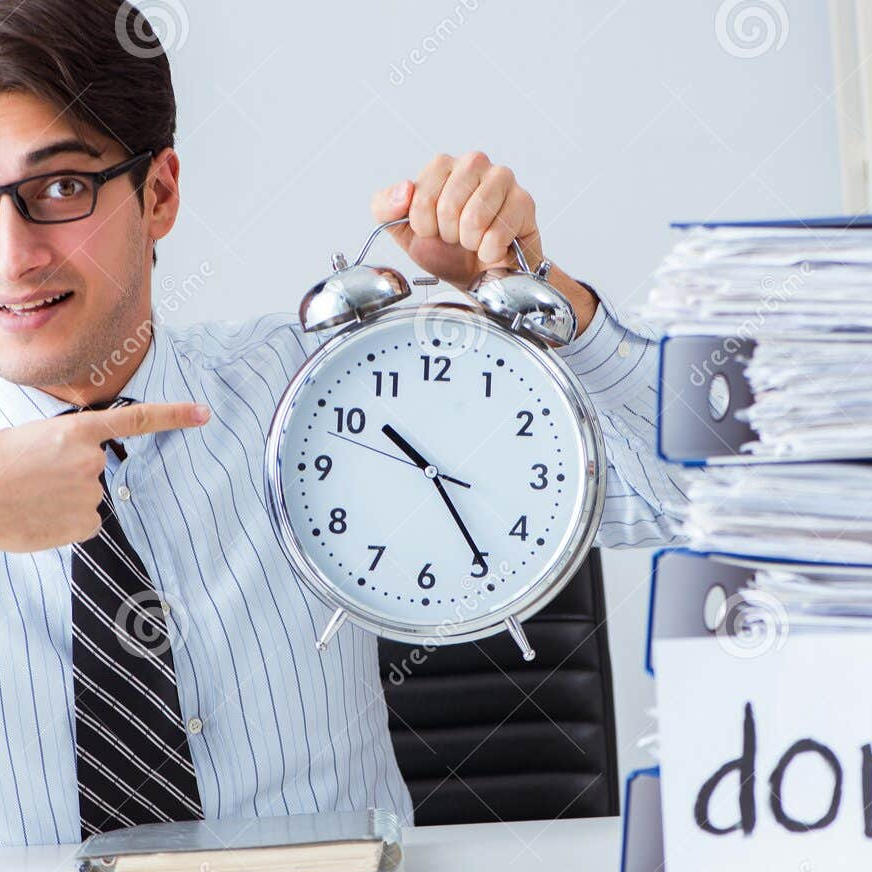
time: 10:24
